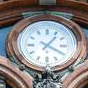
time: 1:20
